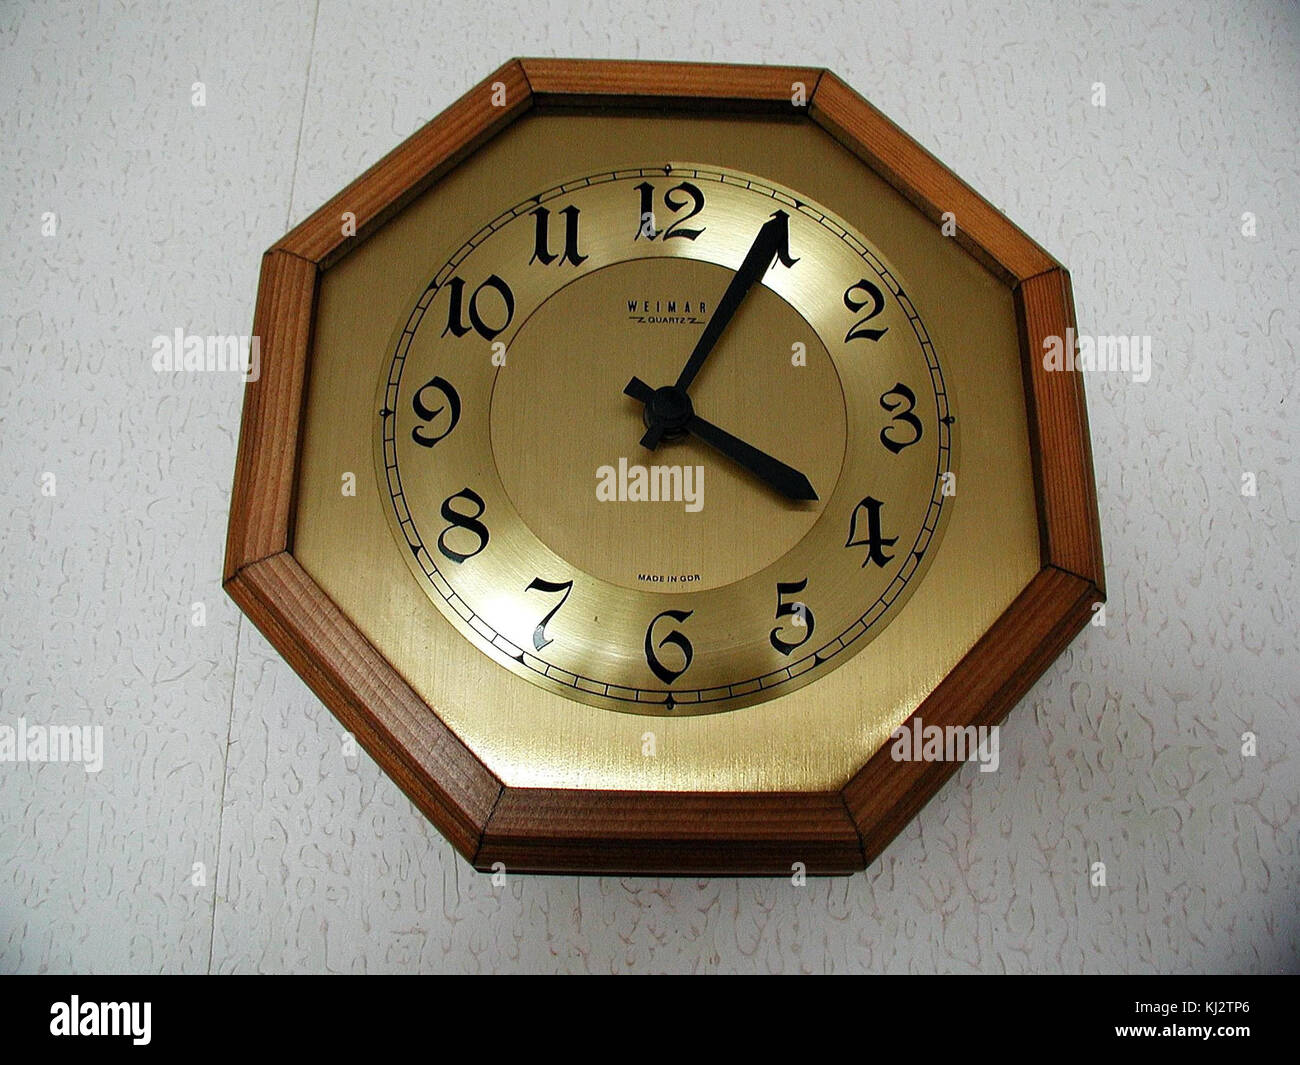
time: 4:04
